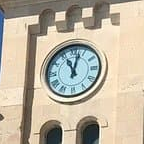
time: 11:02
